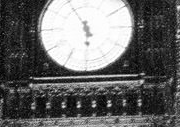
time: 5:29
